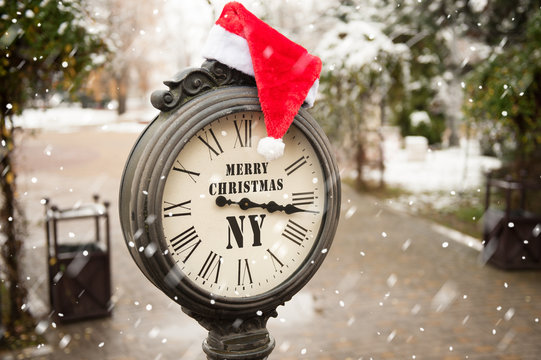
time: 5:16
